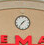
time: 1:36
